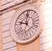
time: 11:46
